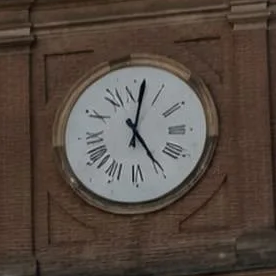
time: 5:01
